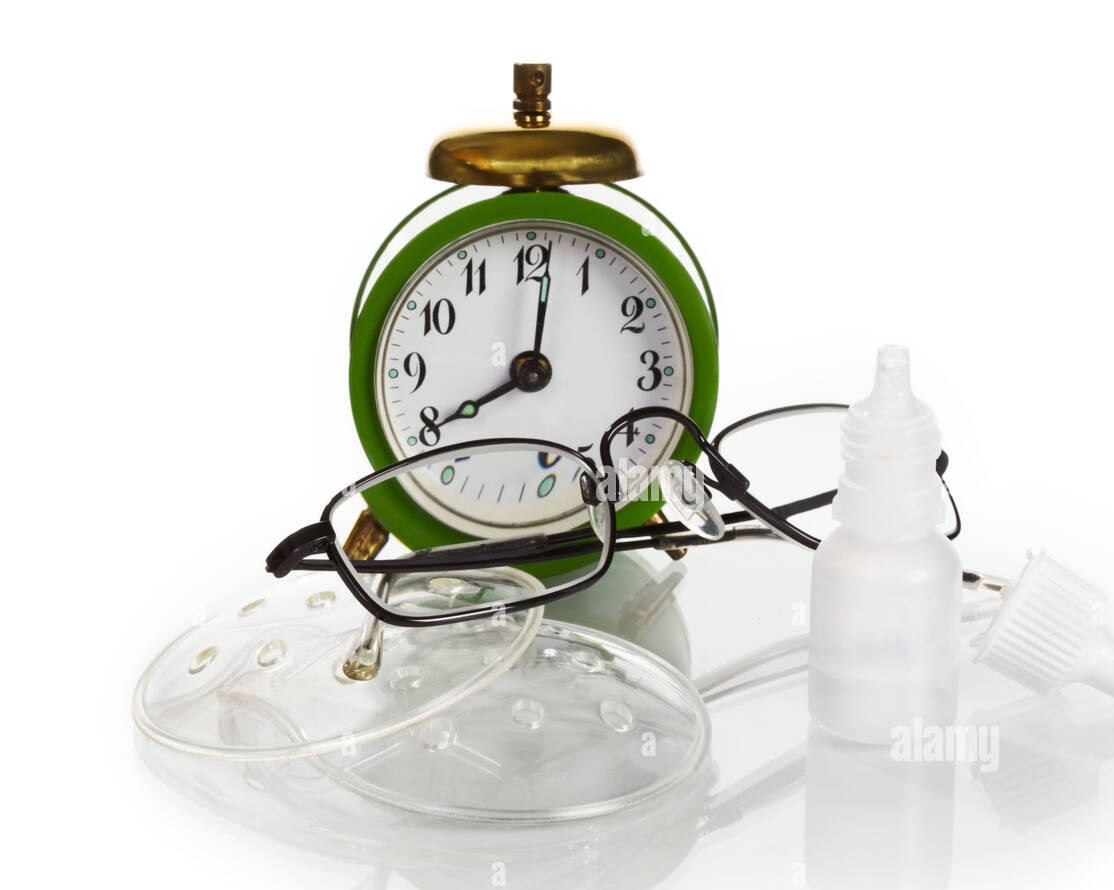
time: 8:01
